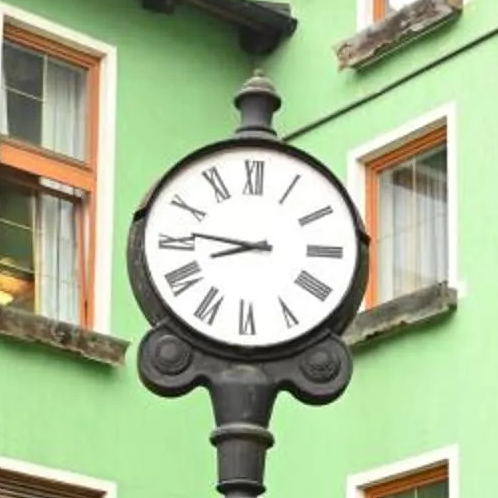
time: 8:46
